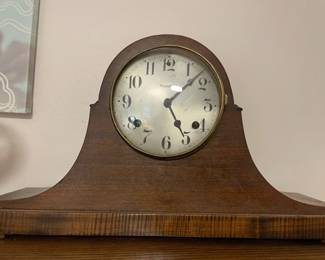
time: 1:24
